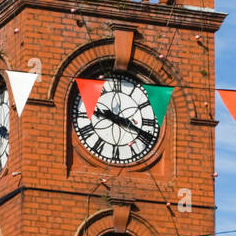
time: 9:18
